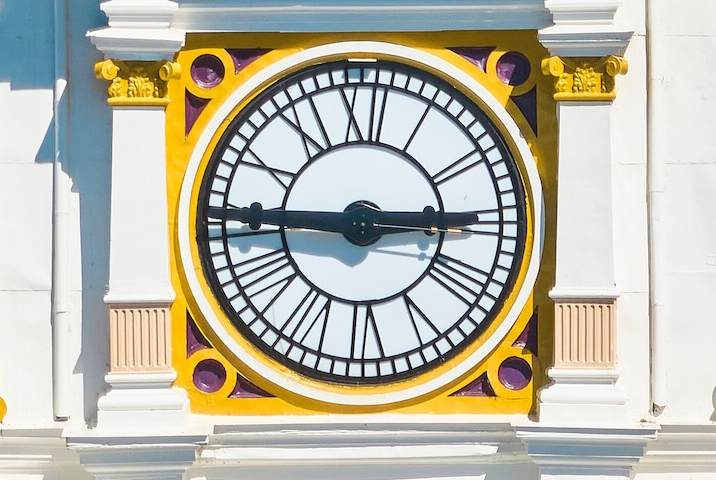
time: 2:45
